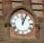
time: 12:04
